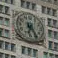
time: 6:24
